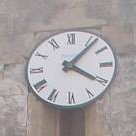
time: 4:07
